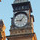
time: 9:07
